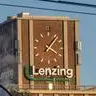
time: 4:07
